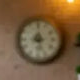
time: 8:27
